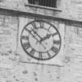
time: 1:52
